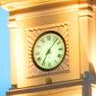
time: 7:07
